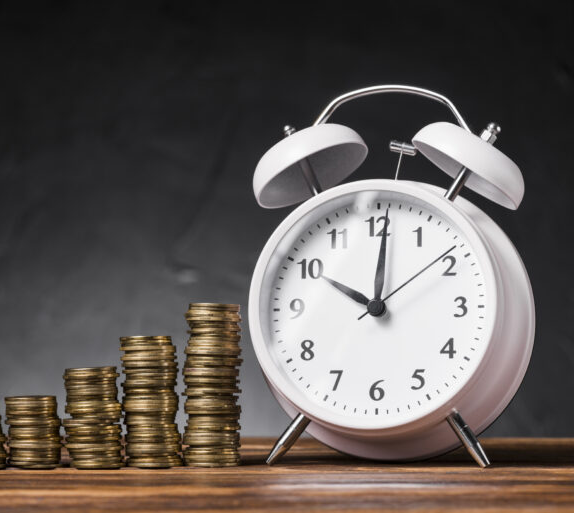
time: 10:00
